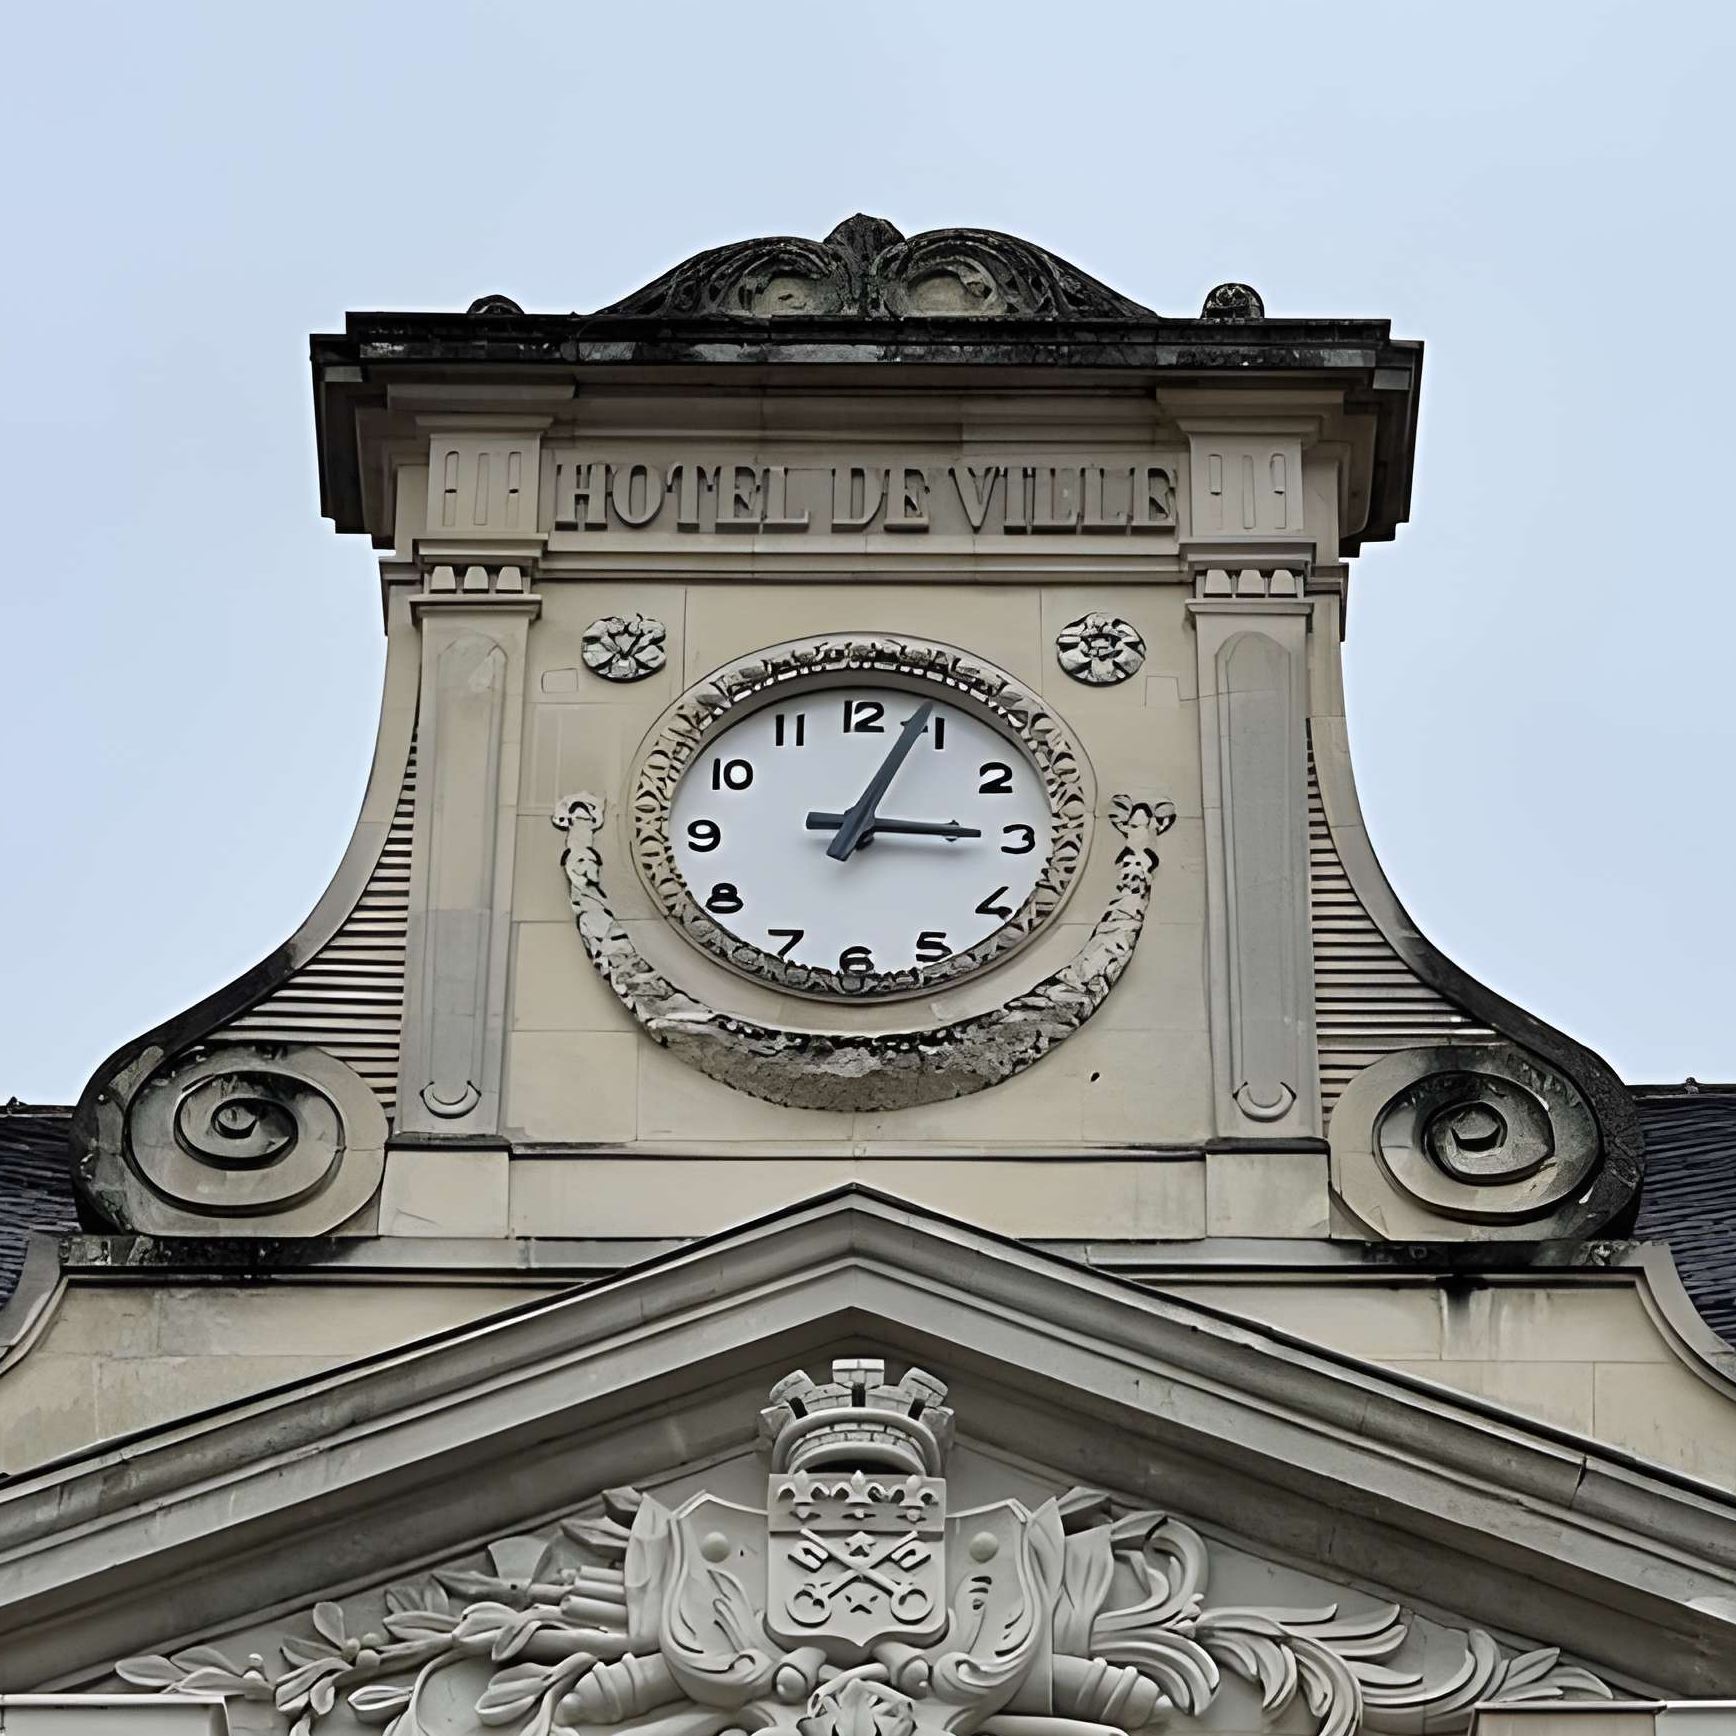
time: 3:04
